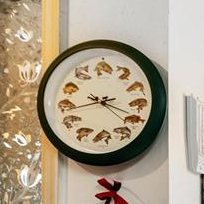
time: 3:42
